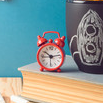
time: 10:13
